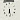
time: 6:28
